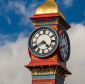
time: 4:40
